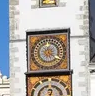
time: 6:20
